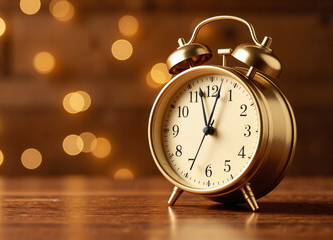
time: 12:34
